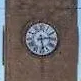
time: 2:28
